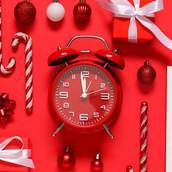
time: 11:58
